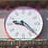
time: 9:22
